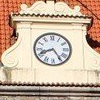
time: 8:24
